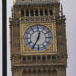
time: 12:34
